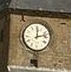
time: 12:12
